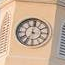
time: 7:01
